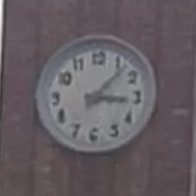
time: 3:07
